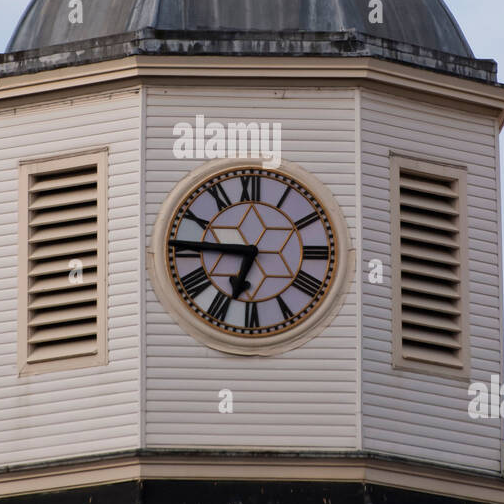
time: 6:45
